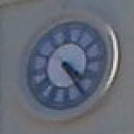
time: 4:24
